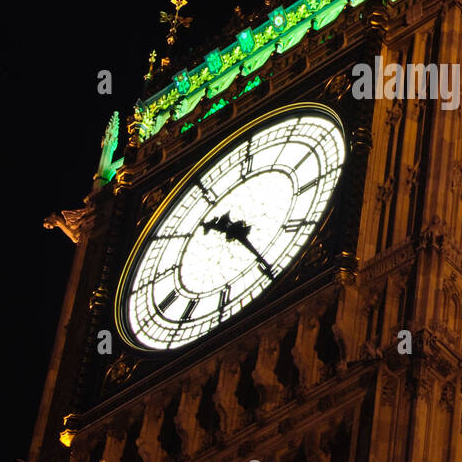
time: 10:24
